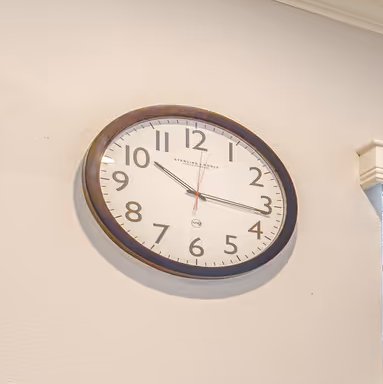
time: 10:16
